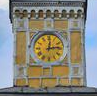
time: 12:13
